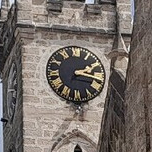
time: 2:16
